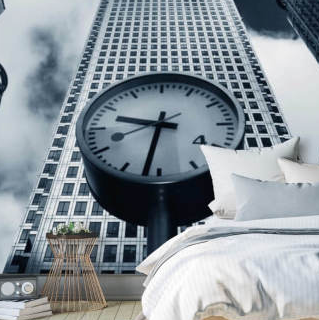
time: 9:32
